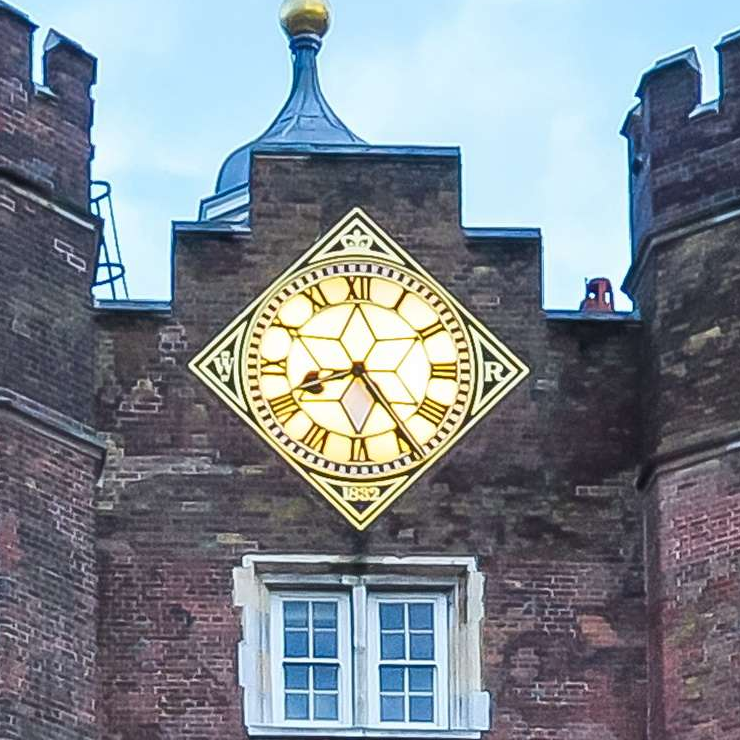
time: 8:24
